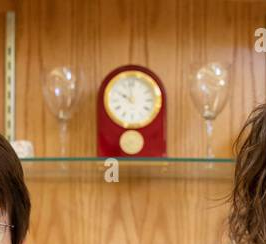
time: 10:00
